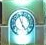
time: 4:56
